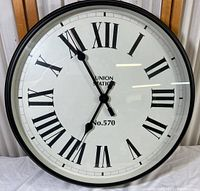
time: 6:54
